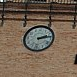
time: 2:13
